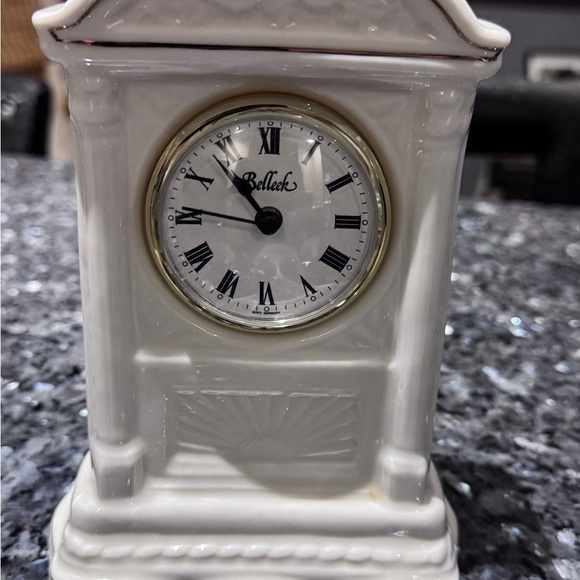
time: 10:45
